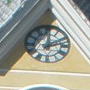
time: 12:12
